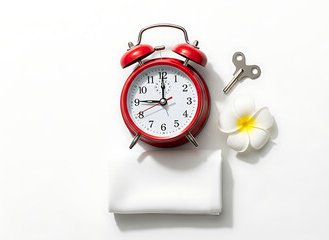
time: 9:00
